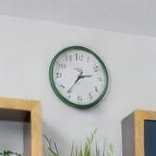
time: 2:36
